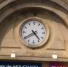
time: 4:39
